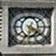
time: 6:20
